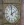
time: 1:59
